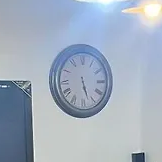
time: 5:27
